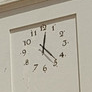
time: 12:23
